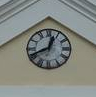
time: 12:41
